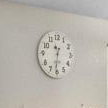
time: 11:31
